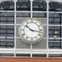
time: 10:17
